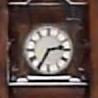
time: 2:35
